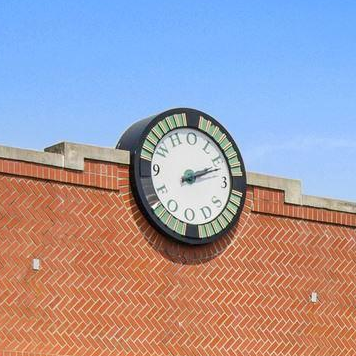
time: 2:11
